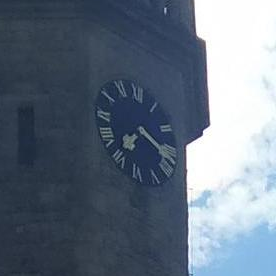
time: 7:17
